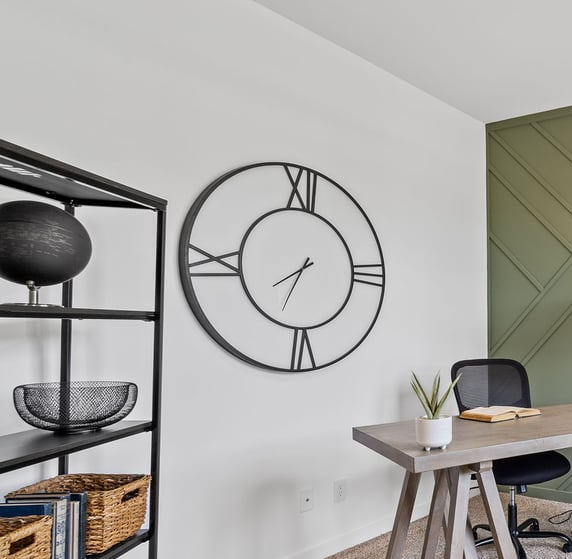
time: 7:33
